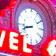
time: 8:42
